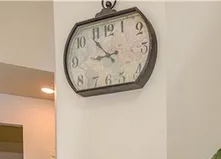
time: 8:53
